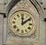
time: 12:09
